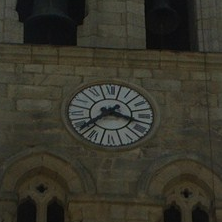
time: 3:38
